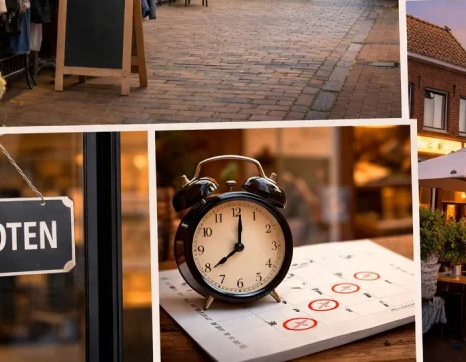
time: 8:01
